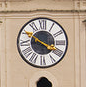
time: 3:50
